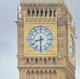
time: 8:30
